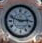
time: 2:48
